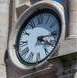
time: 3:20
